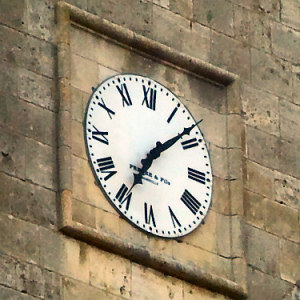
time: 7:08
